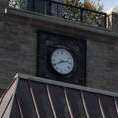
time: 2:40
